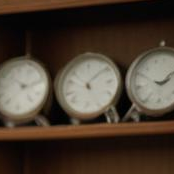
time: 5:08
